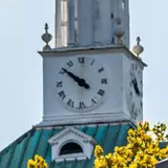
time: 9:51
